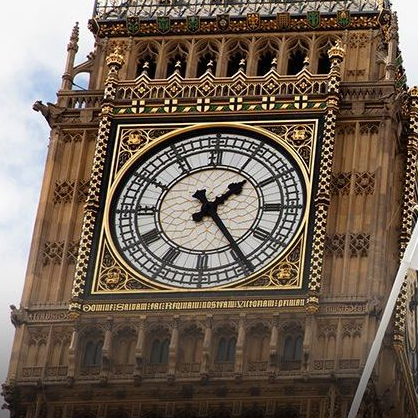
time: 1:24
